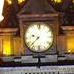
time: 9:38
